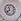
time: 11:37
